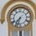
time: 7:33
